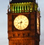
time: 8:32
